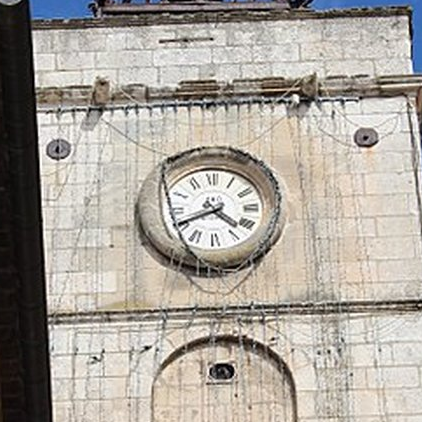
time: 4:40
